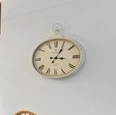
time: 3:04
